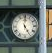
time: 5:00
